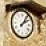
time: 2:06
